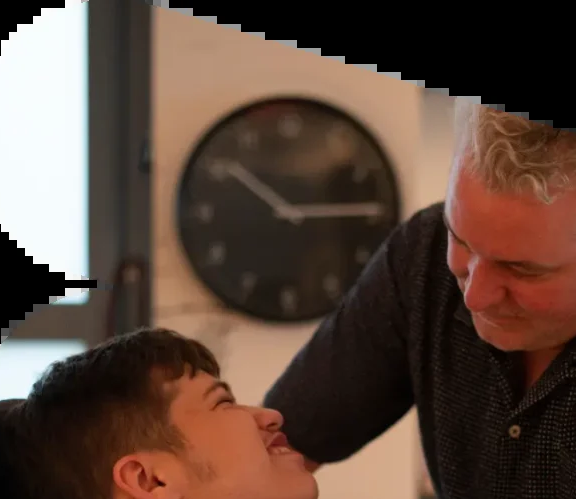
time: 10:14
